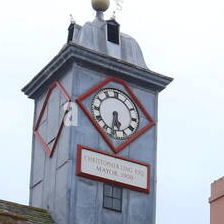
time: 5:31
